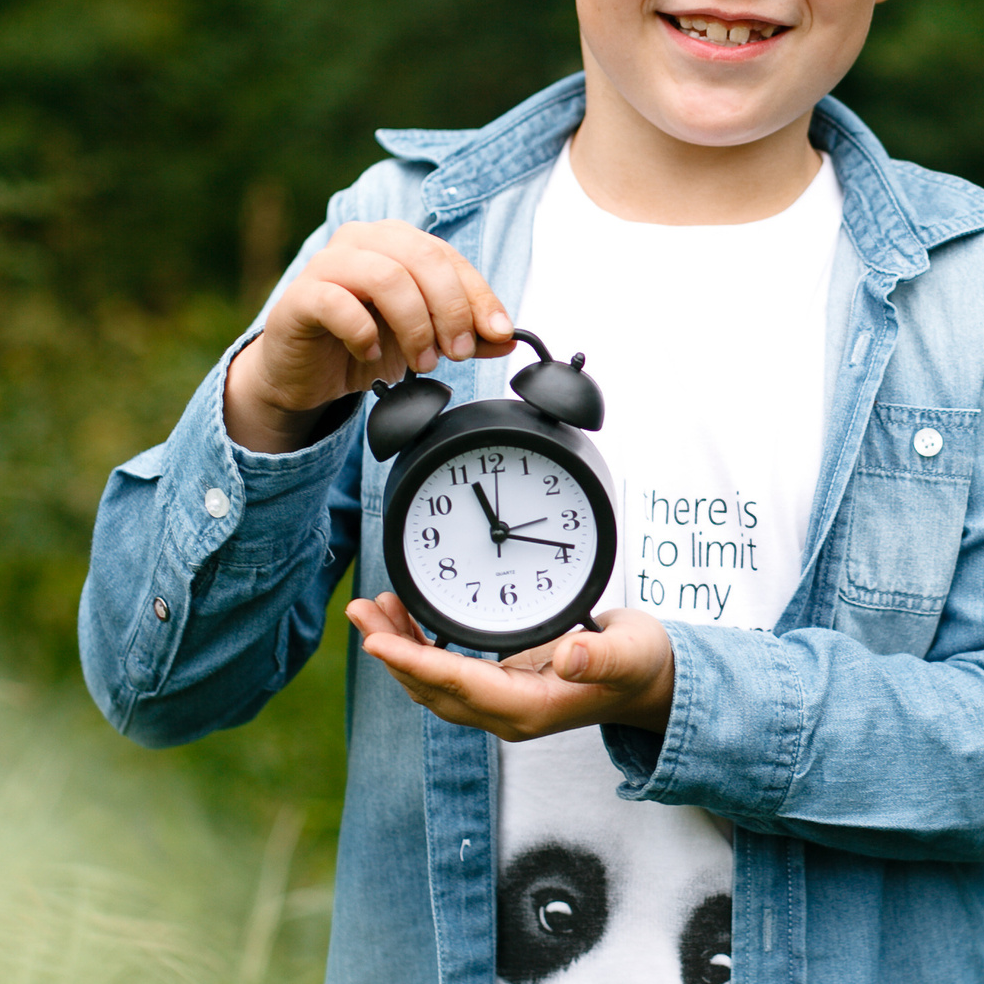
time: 11:18
